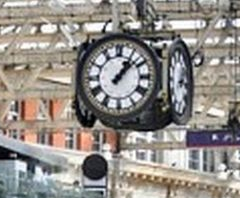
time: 1:08
